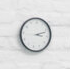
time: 3:11
